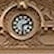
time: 2:29
